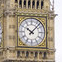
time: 10:07
